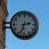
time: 2:33
